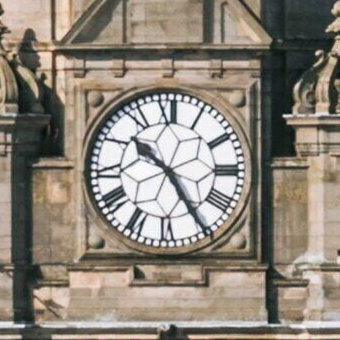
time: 10:24
